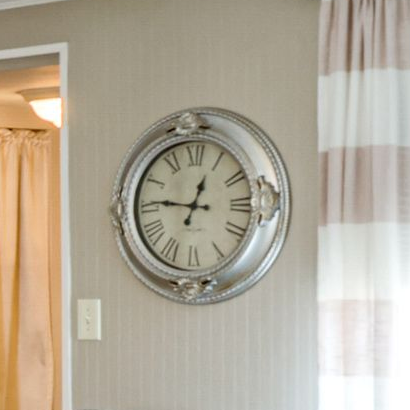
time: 12:46
